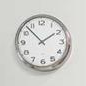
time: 1:52
